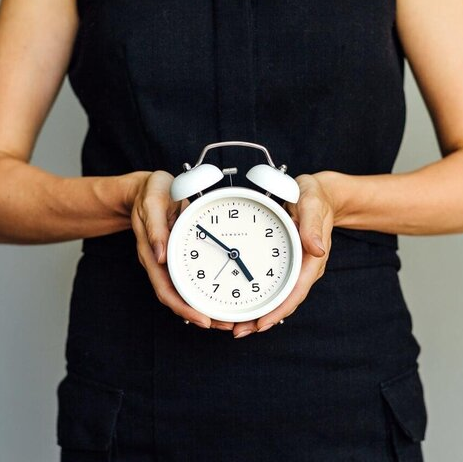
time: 4:51
